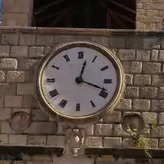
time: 12:18
